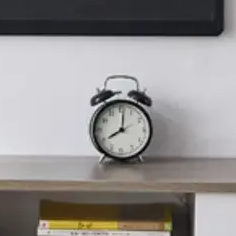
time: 8:01
